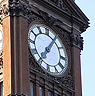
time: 7:05
